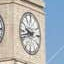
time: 9:42
